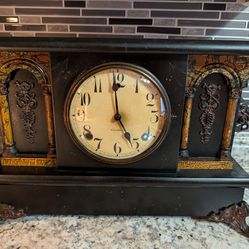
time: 4:59
